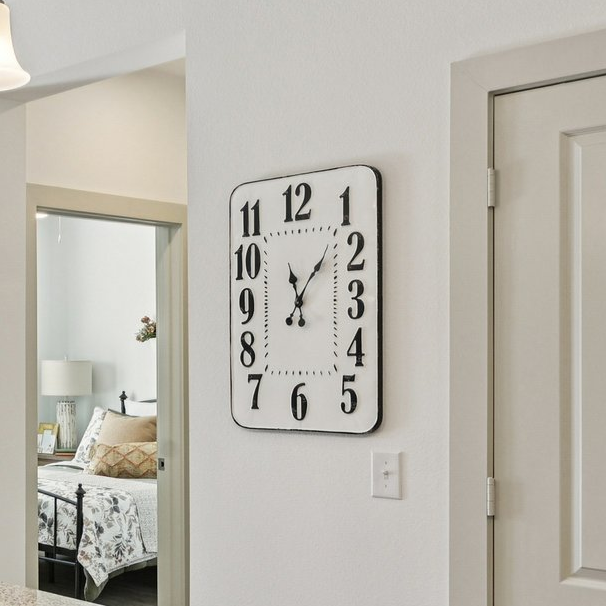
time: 11:07
